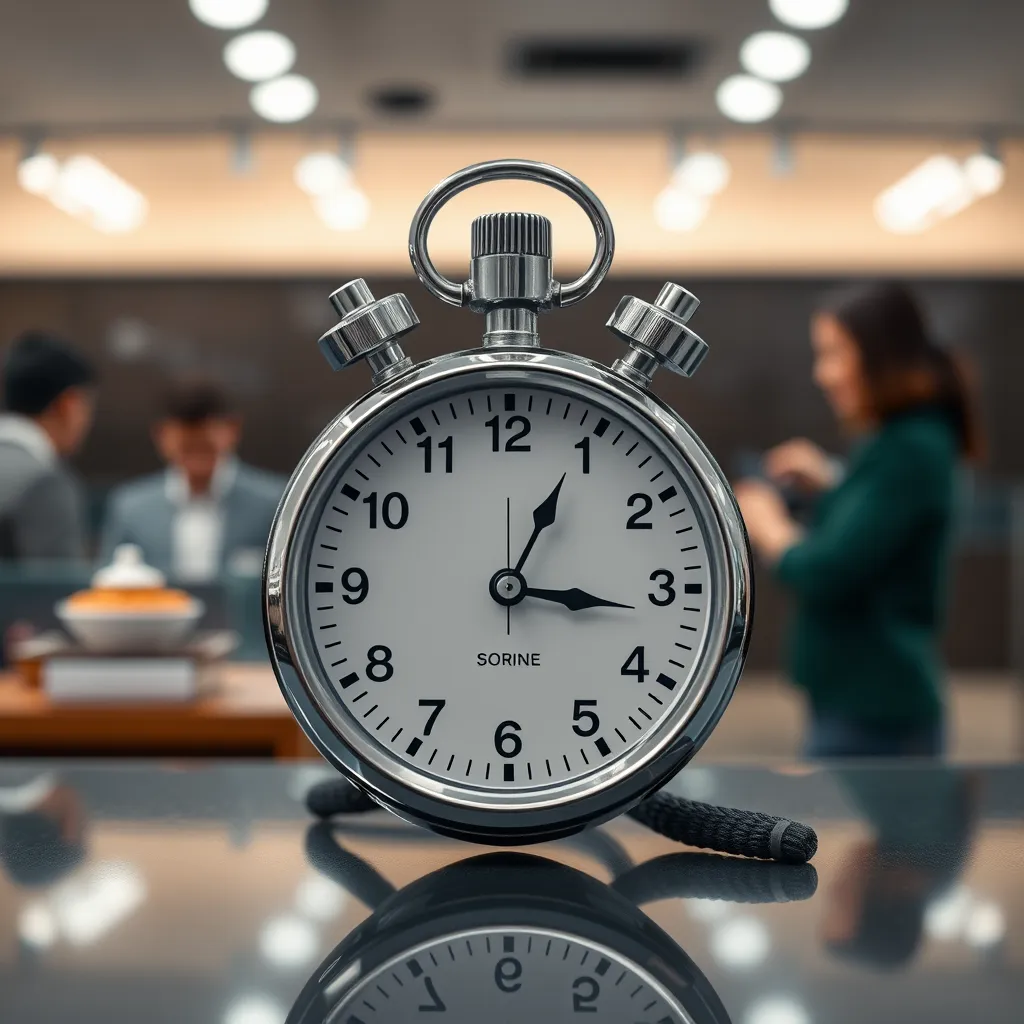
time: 3:04
